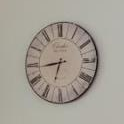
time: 6:43
